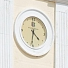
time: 4:31
